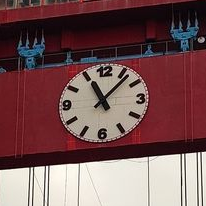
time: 11:07
